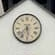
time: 5:36
